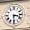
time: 3:30
